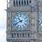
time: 10:41
